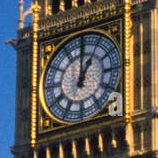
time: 1:00
